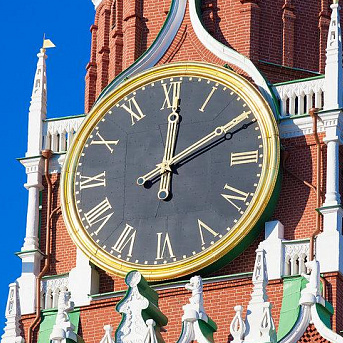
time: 12:10
